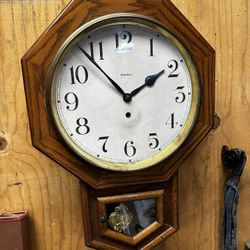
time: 1:53
